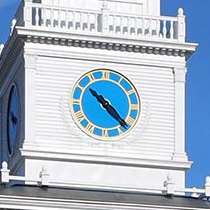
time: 10:22
